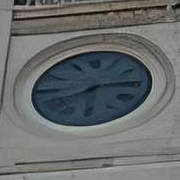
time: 8:14
